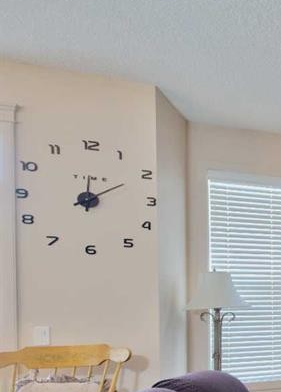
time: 12:10
